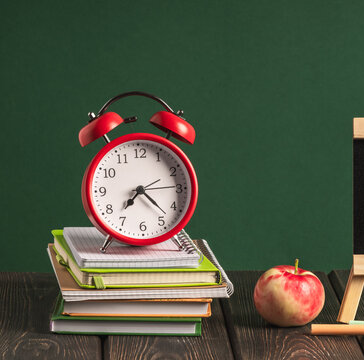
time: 7:22
